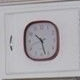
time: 10:27
